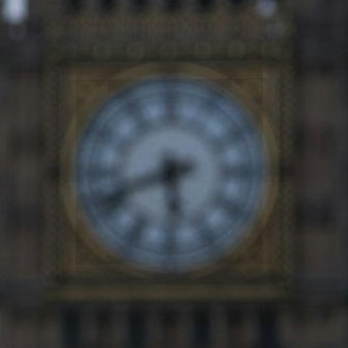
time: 5:41
